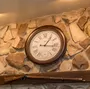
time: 1:16
